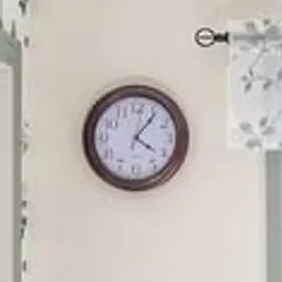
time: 4:06
